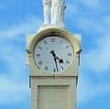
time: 4:28
